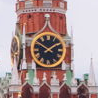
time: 1:50
